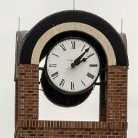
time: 2:07
